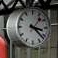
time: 3:21
